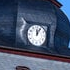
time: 12:05
